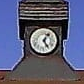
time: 1:24
